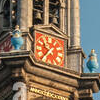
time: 9:36
